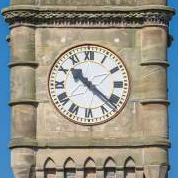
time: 10:21
